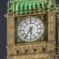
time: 5:35
